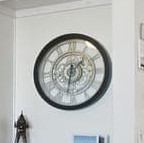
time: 1:32
